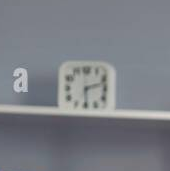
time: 2:29
